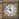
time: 11:47
